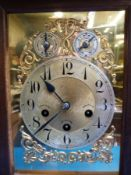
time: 10:38
